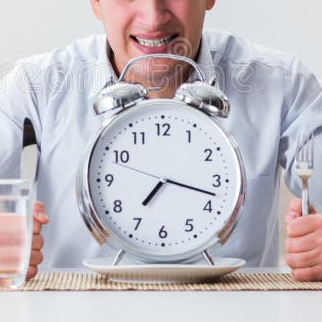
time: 7:17
